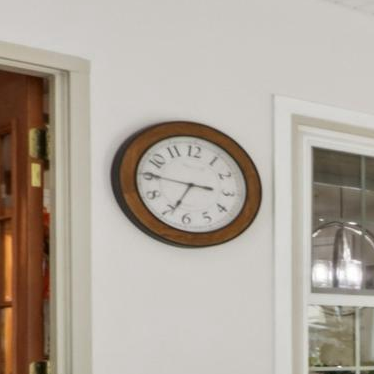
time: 6:45
